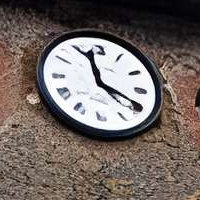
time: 3:57
